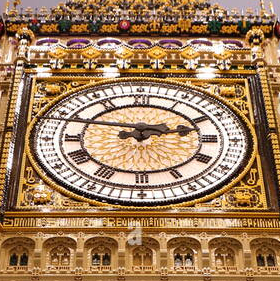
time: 2:48
